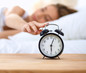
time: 6:03
